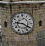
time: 9:20
